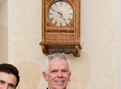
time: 4:49
